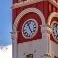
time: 4:56
